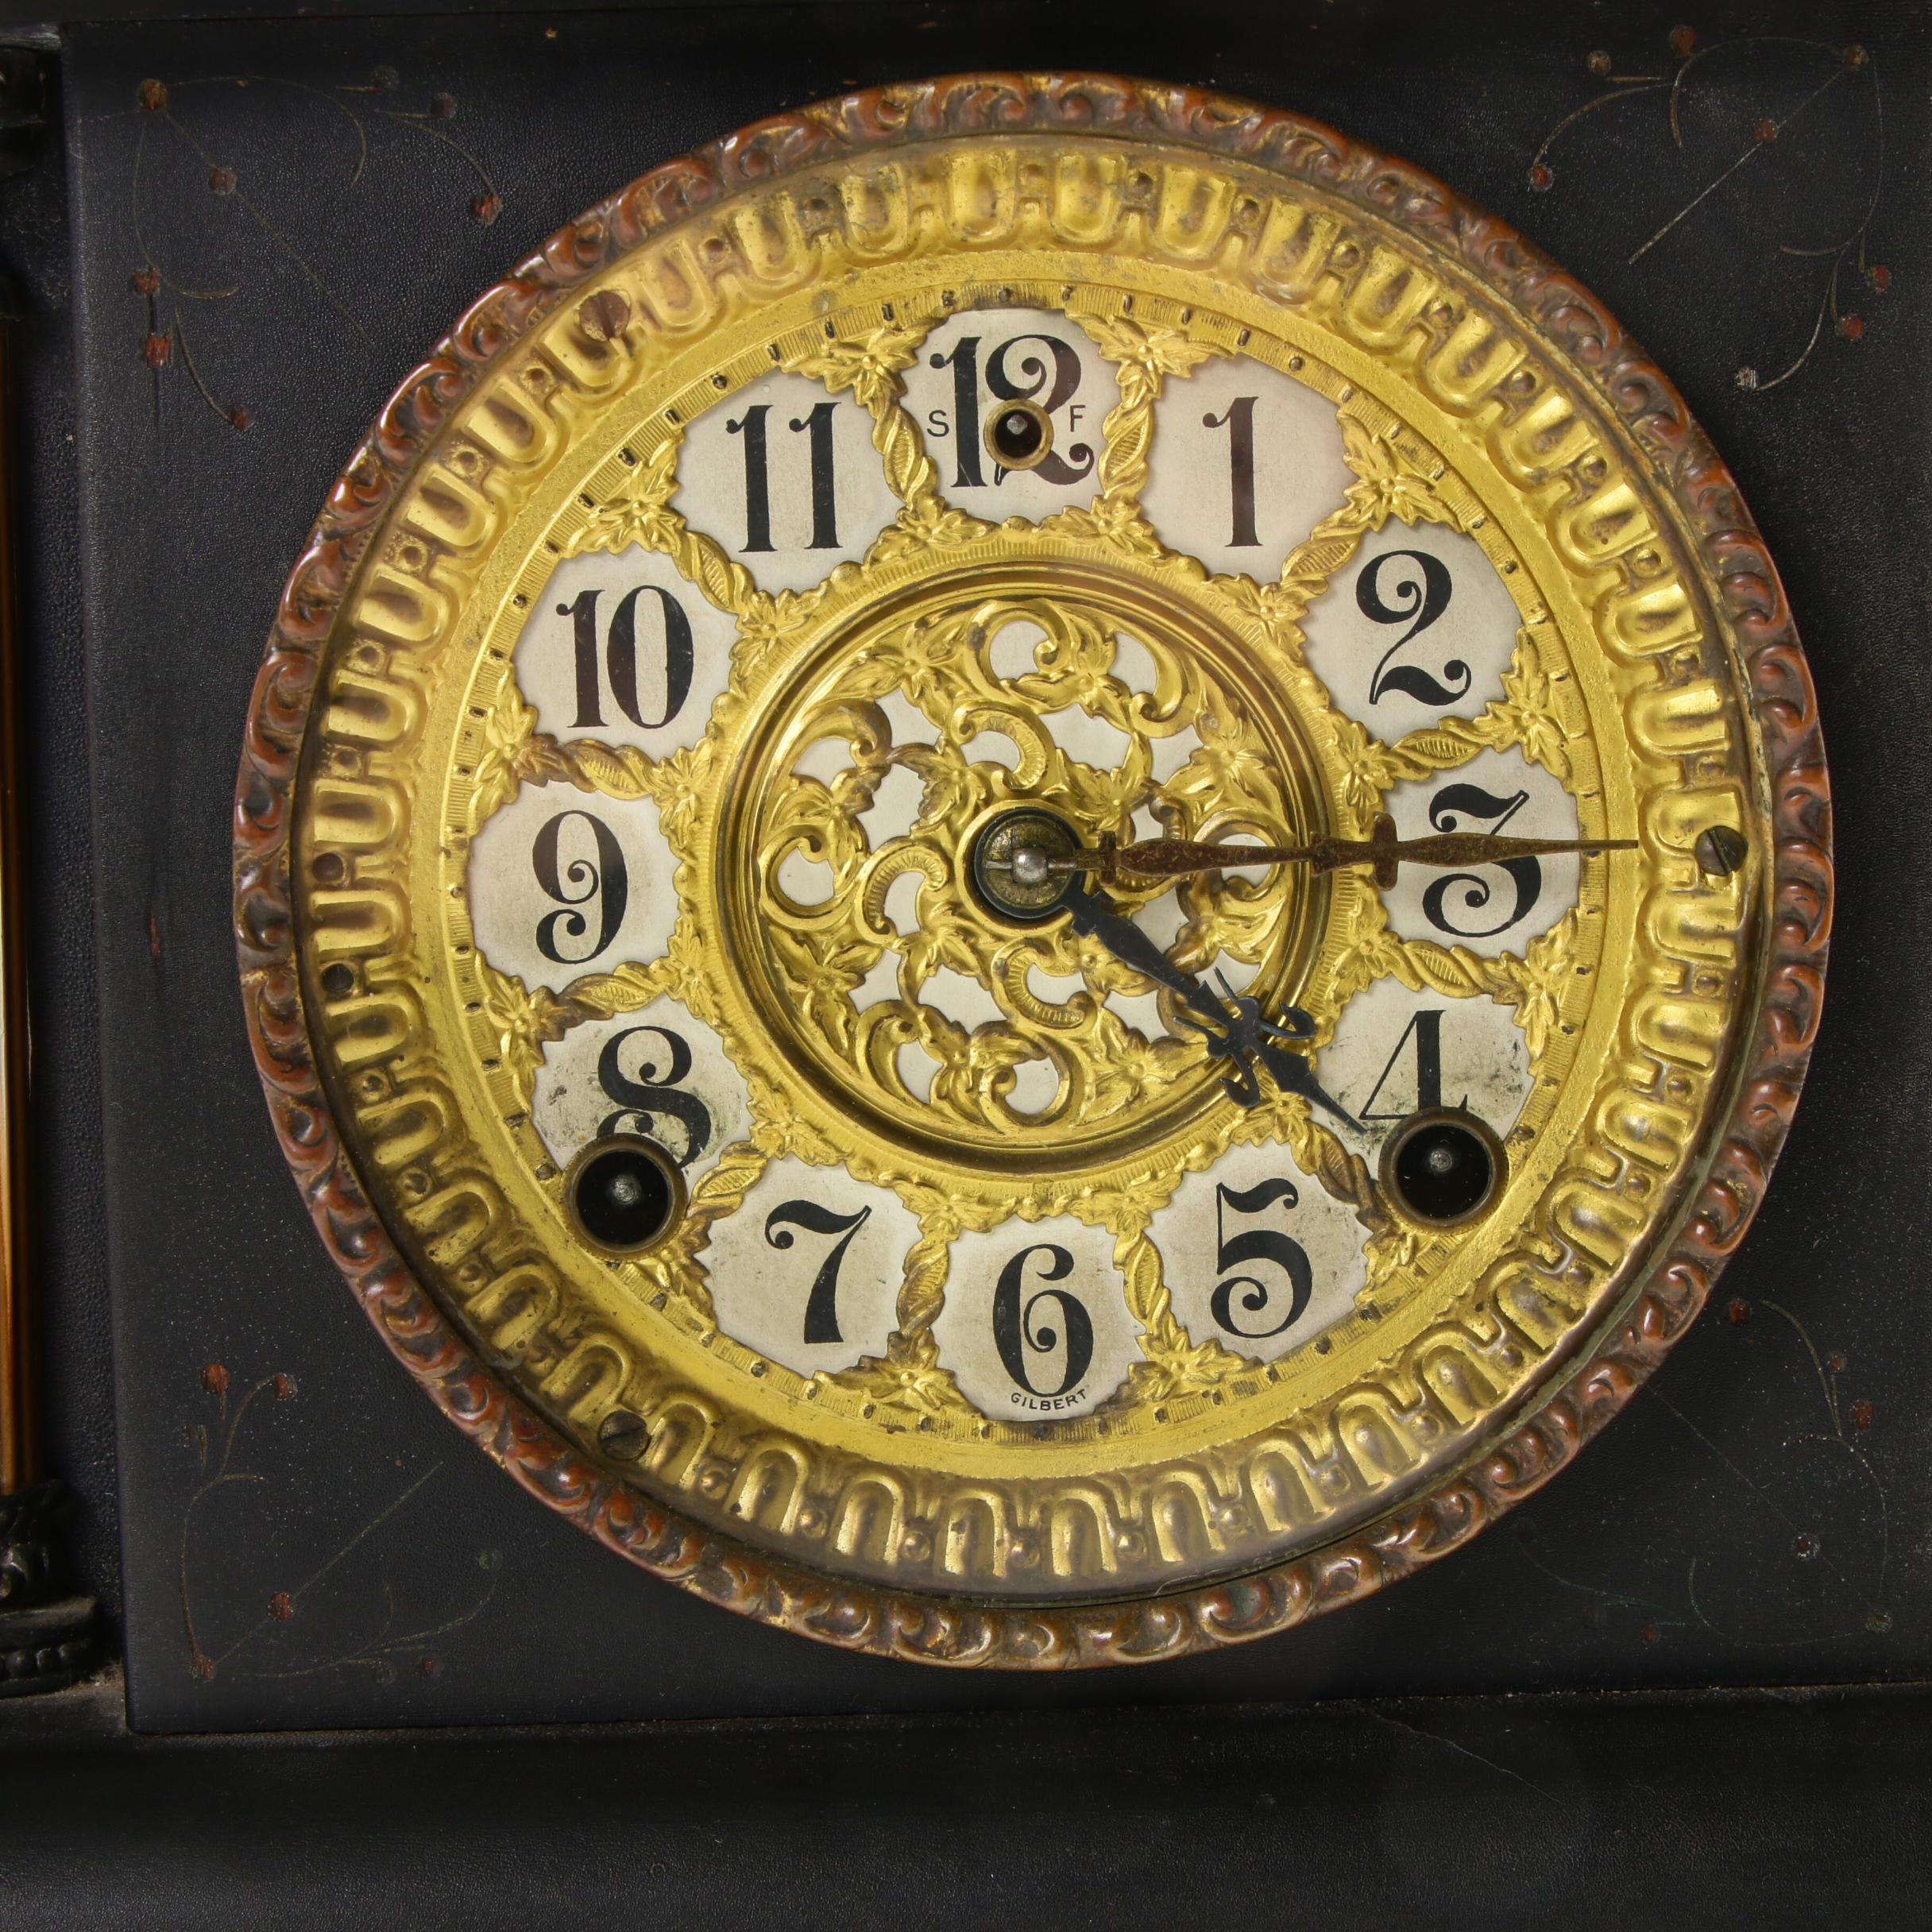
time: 4:14
